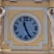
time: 11:25
